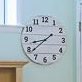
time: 8:38
